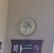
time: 4:34
